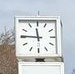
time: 11:45
